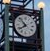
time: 7:52
